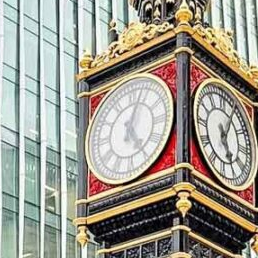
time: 5:03
